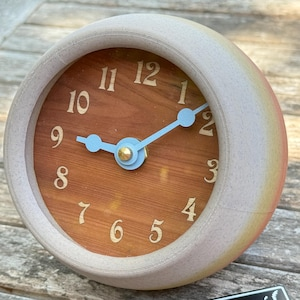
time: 9:08
